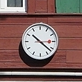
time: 10:21
